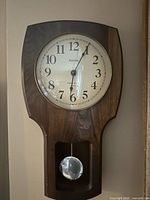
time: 6:04
